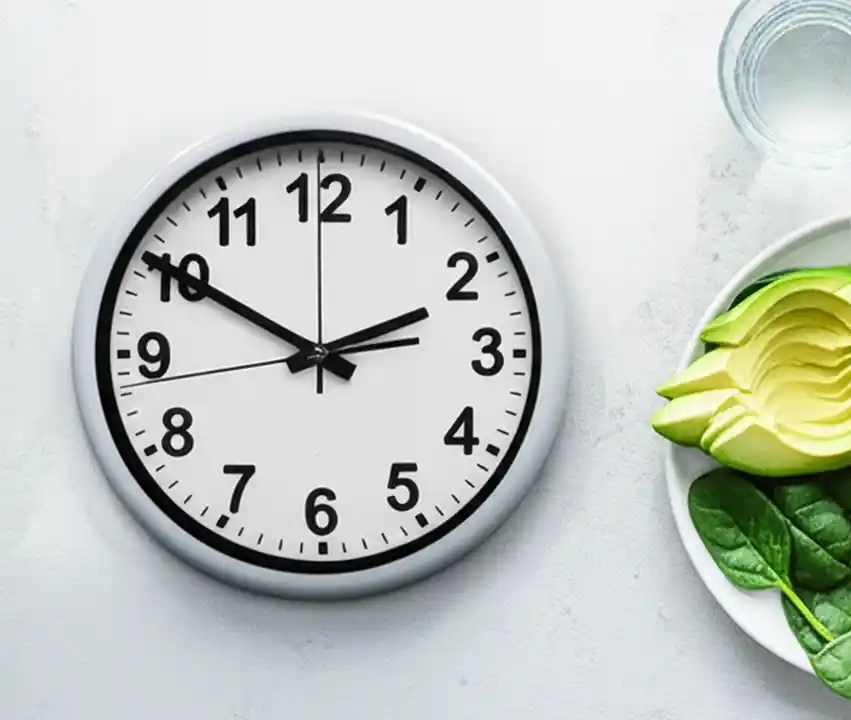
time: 1:50
